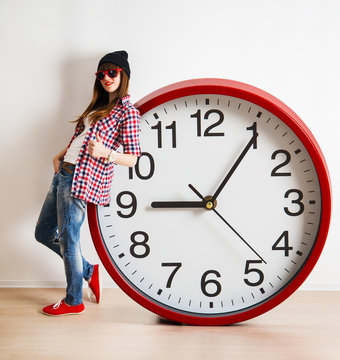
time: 9:05
